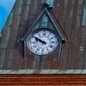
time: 9:50
